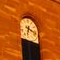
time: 6:18
